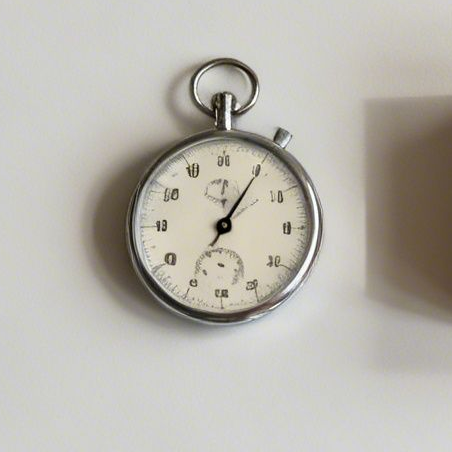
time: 1:05
